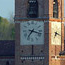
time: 7:17
